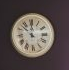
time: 11:52
